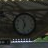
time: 11:32
